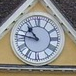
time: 10:46
